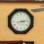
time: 3:13
